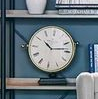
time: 10:13
